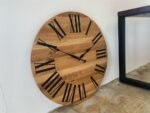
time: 1:50
